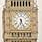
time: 6:26
